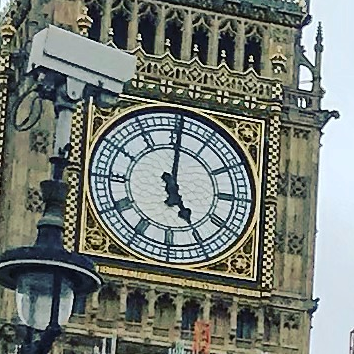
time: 5:00
